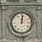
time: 12:01
